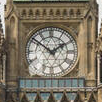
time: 1:51
